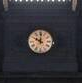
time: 10:00
